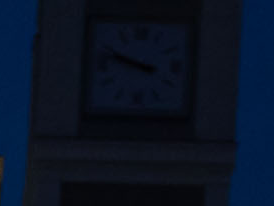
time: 9:48
